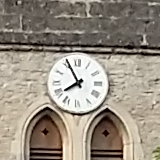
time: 7:55
